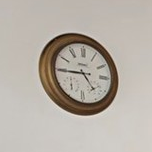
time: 4:44
